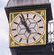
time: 10:56
